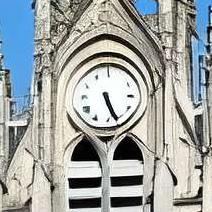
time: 5:26
